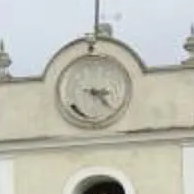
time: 3:22
